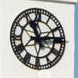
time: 11:13
